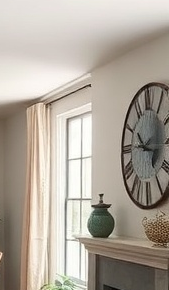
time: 10:17
